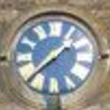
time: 1:38
